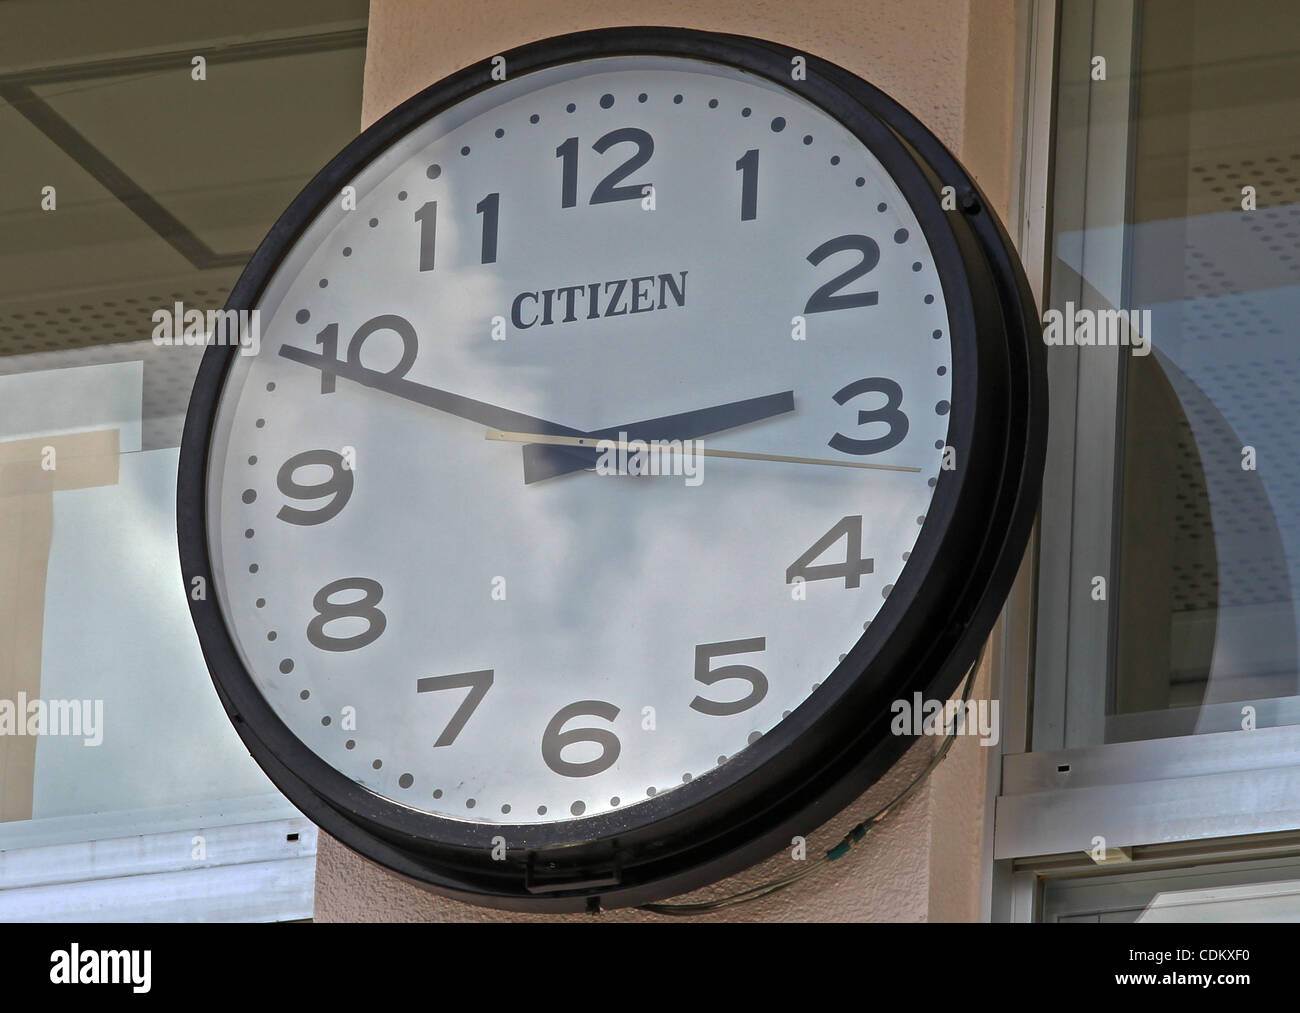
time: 2:48
